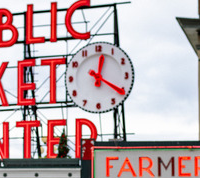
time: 12:20
